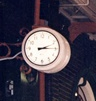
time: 2:14
